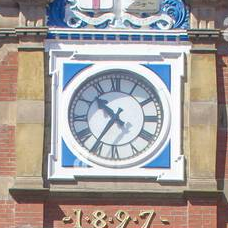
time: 10:35
